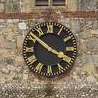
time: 3:51
